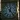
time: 12:23
